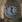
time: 12:23
